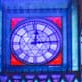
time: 12:14
